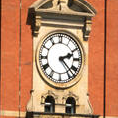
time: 2:22
